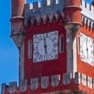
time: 5:59
